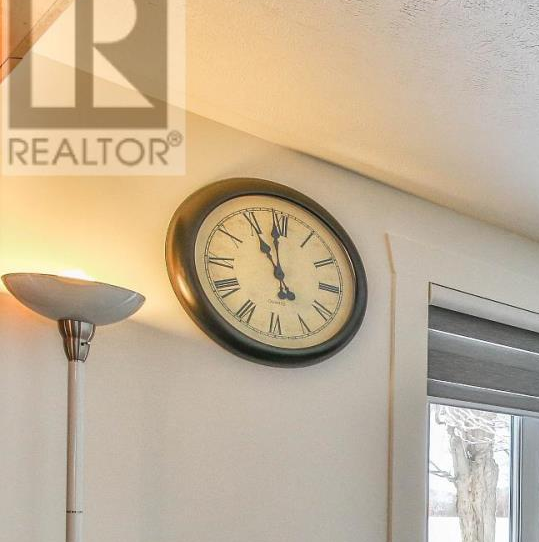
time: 10:58
